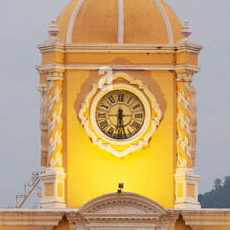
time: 6:28
